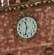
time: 11:32
